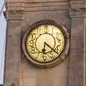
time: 6:21
